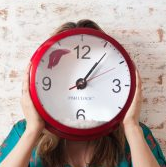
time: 1:06
